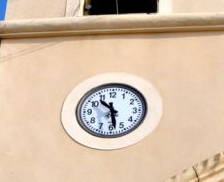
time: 10:28
